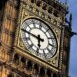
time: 5:45
